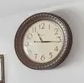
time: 11:15
